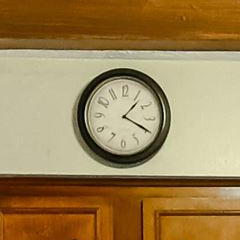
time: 1:19
